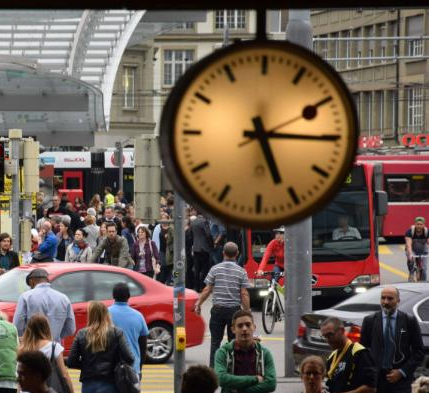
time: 5:15
